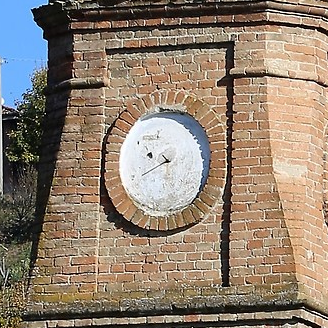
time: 9:40
